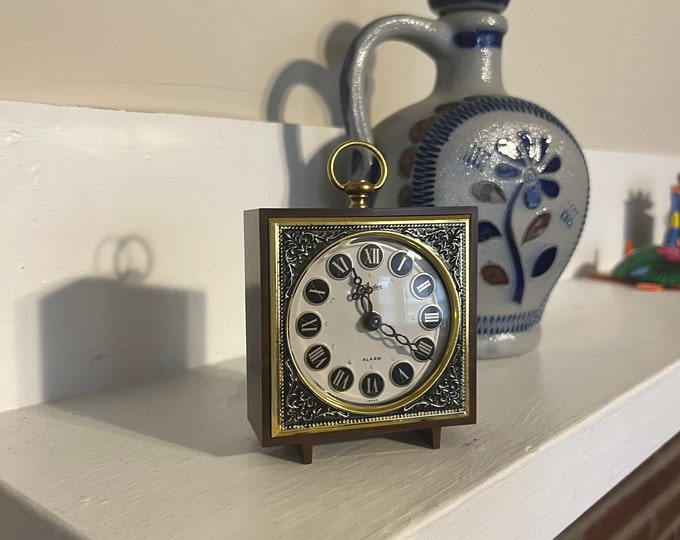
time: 11:21
